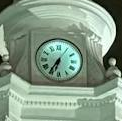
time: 6:36
